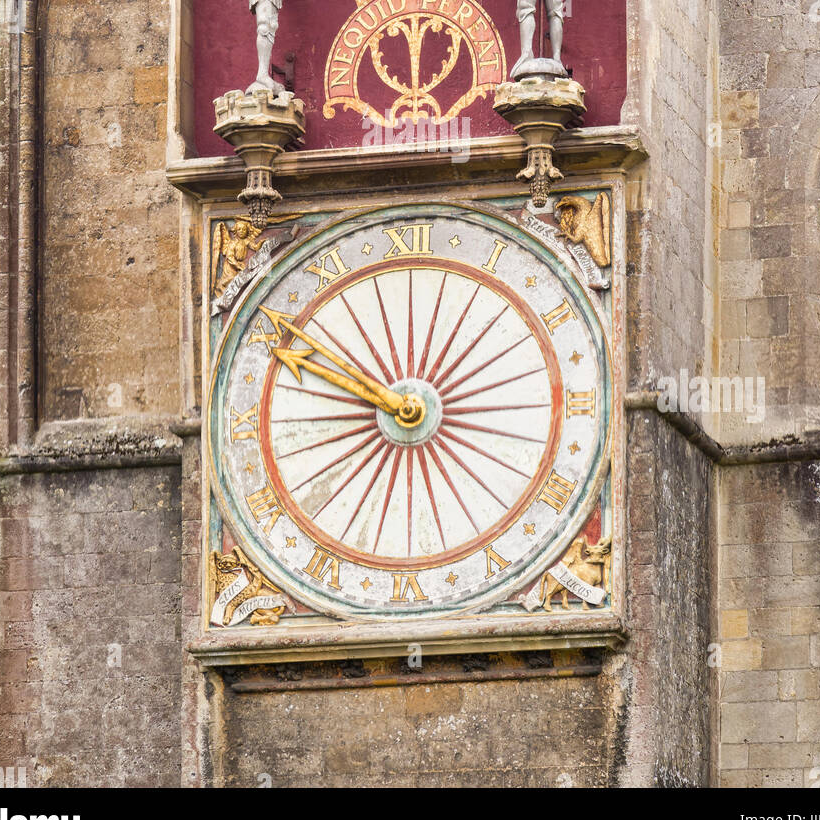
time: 12:50
